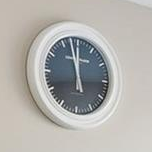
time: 11:57
